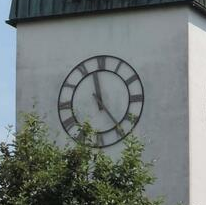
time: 11:23
